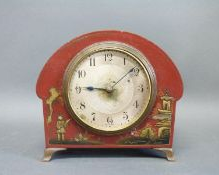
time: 9:08
